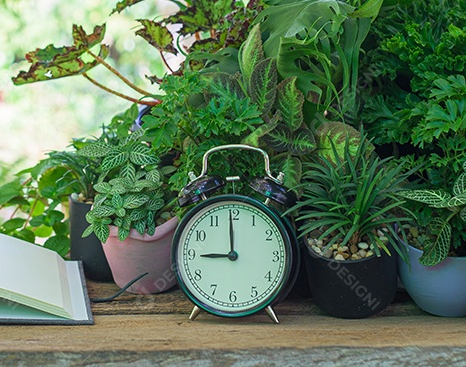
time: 8:59
